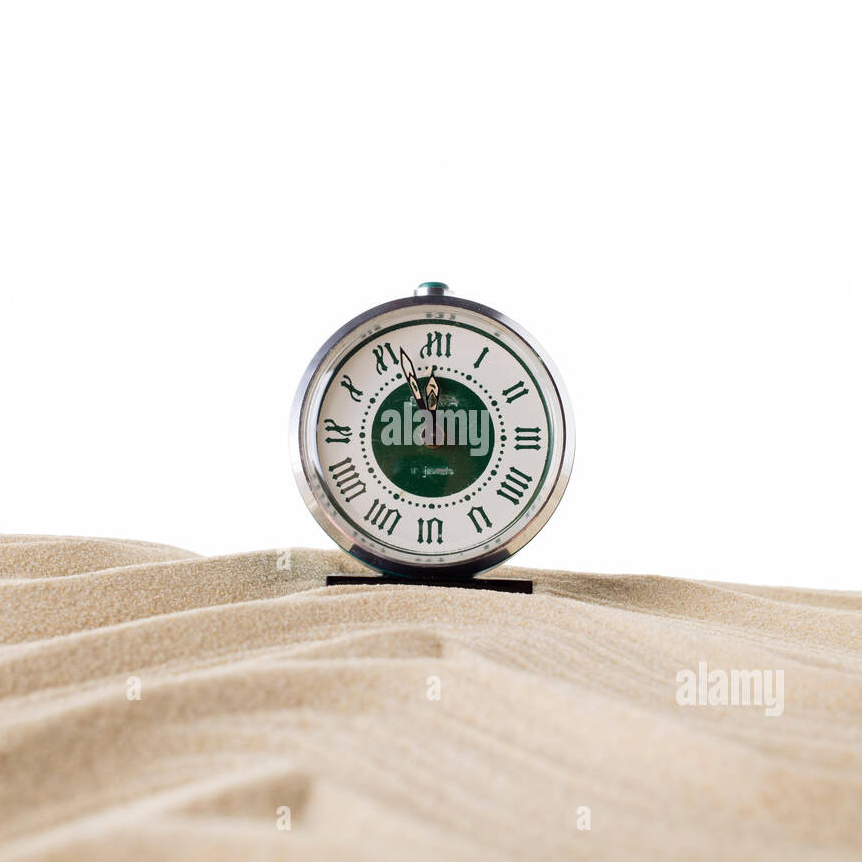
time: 11:56
